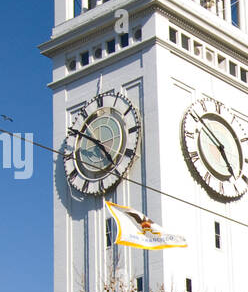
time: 4:50
